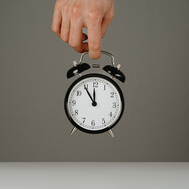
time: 11:54
